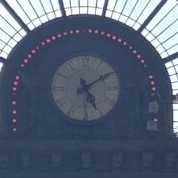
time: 5:09
